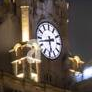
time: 5:42
